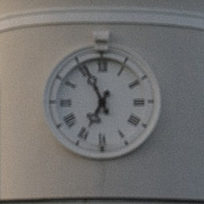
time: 6:55
